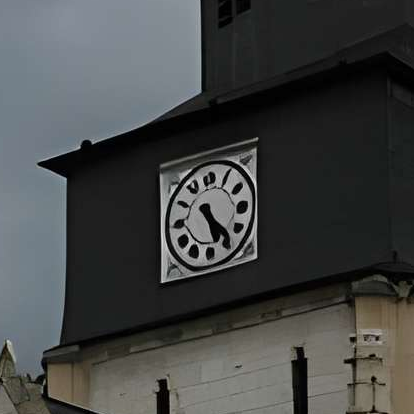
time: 5:23
